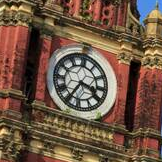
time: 3:34
